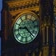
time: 9:22
